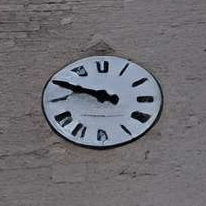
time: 9:48
